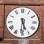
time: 5:30
